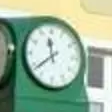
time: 11:38
